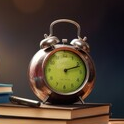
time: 2:12
